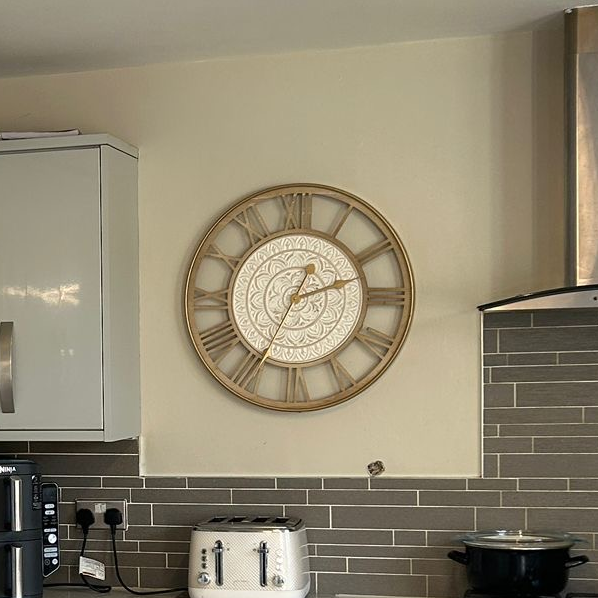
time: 2:34
